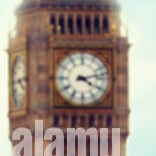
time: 4:12
